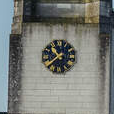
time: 10:38
